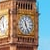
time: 11:25
